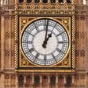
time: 1:01
